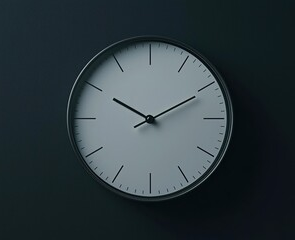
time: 10:10
